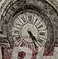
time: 4:26
